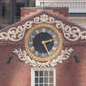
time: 2:25
